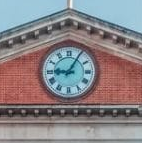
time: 9:05
